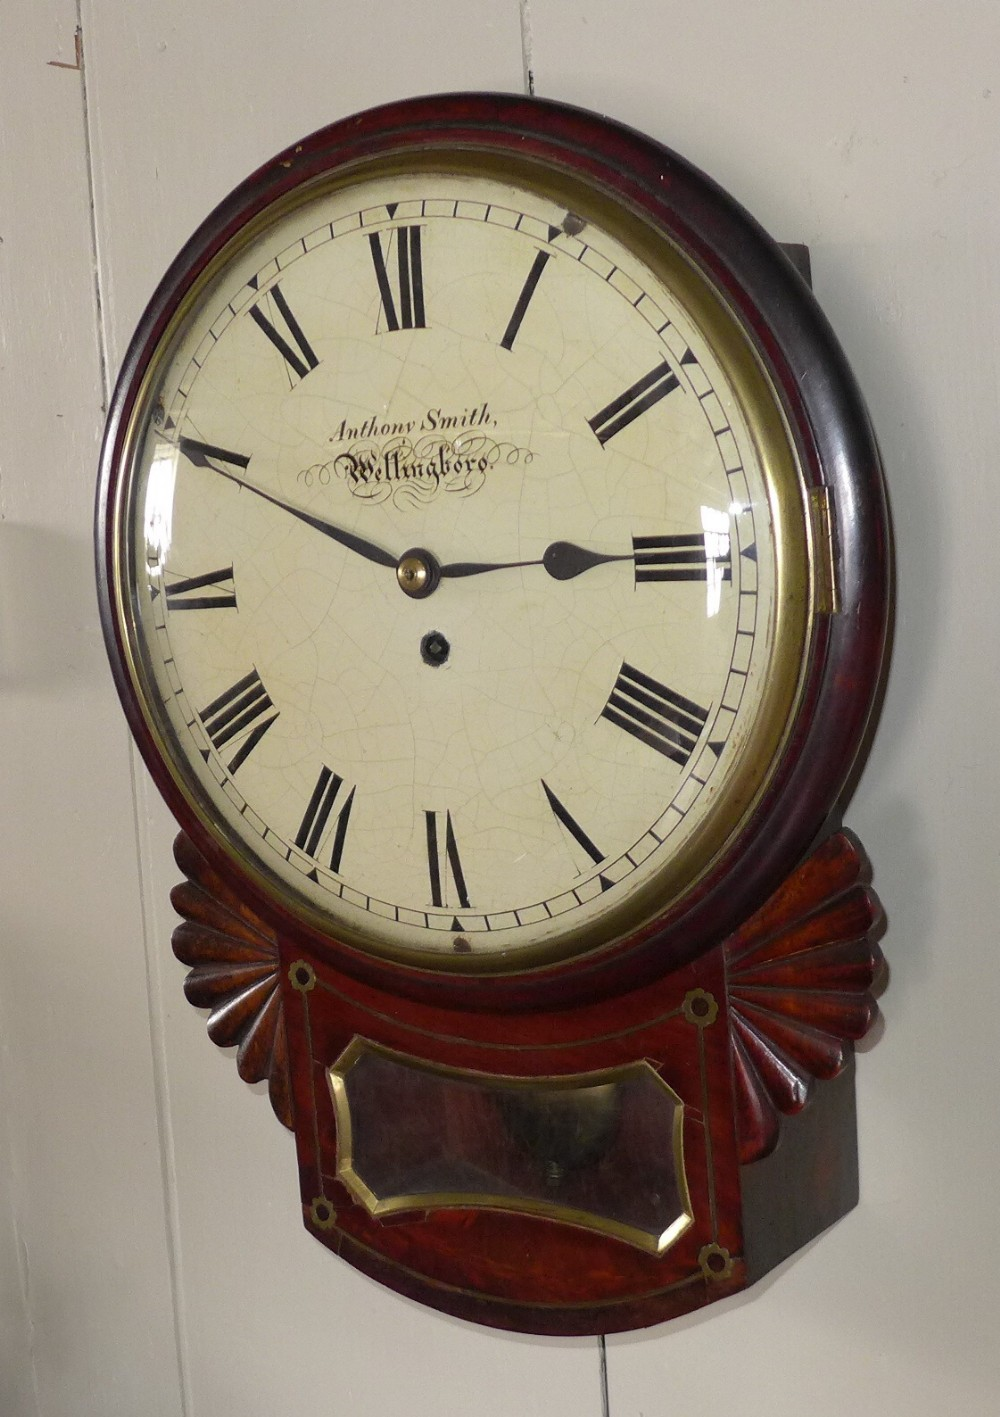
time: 2:49
